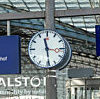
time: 11:28
